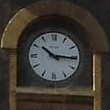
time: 10:15
